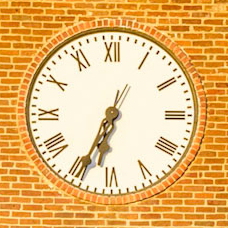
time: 6:34
